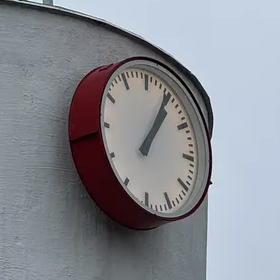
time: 1:04
